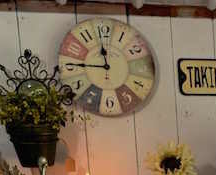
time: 11:46
